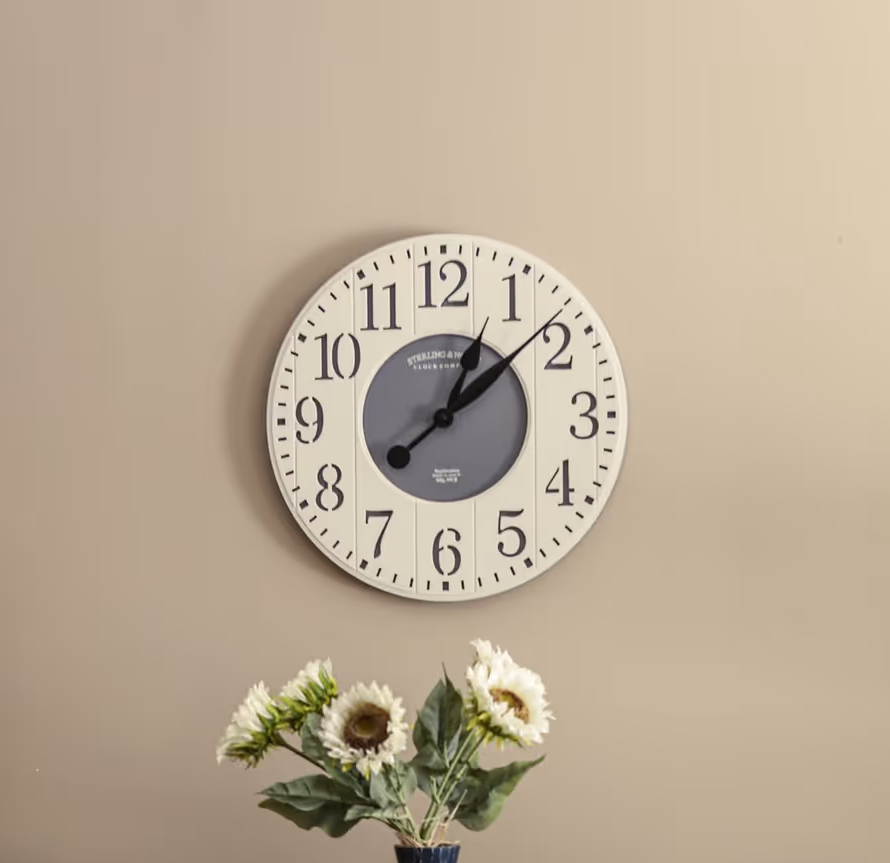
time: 1:08
